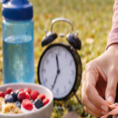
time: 11:33
